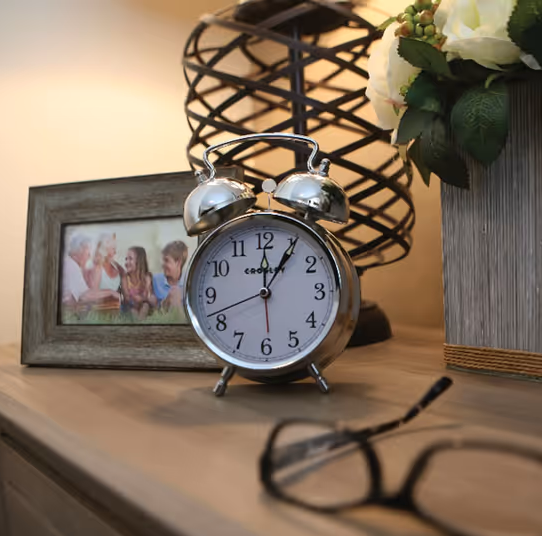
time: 12:05
